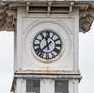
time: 11:37
